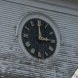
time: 2:59
